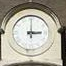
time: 3:00
